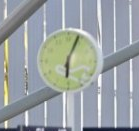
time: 6:03
